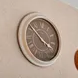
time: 3:51
